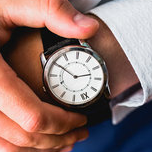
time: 2:50
